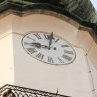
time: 9:01
